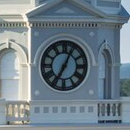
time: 7:04
